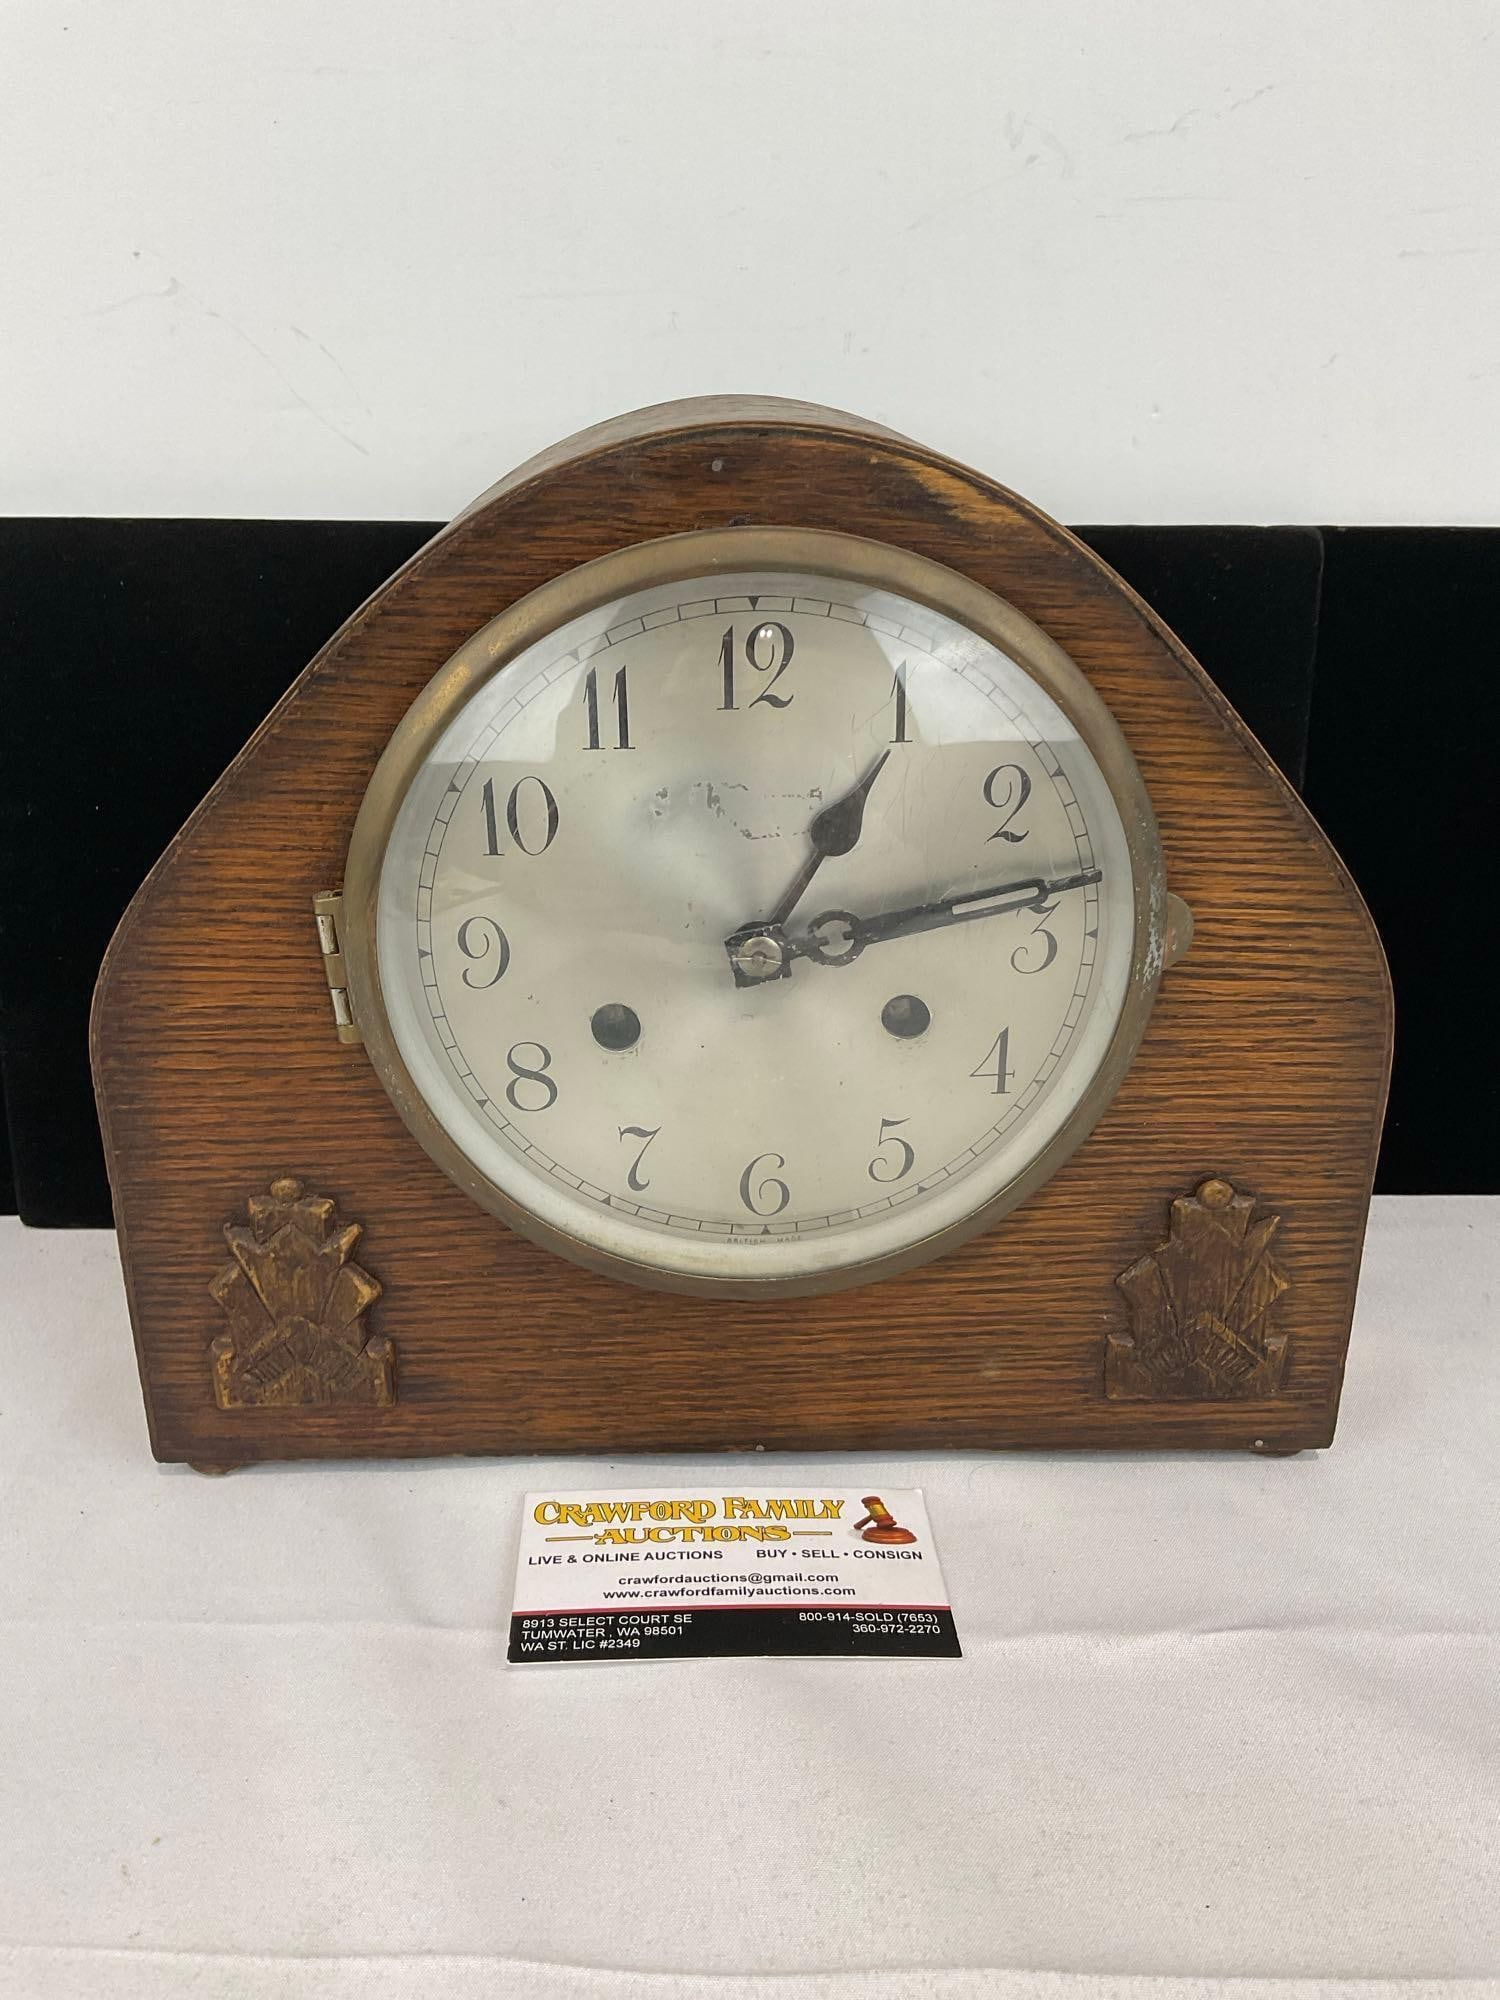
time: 1:12
